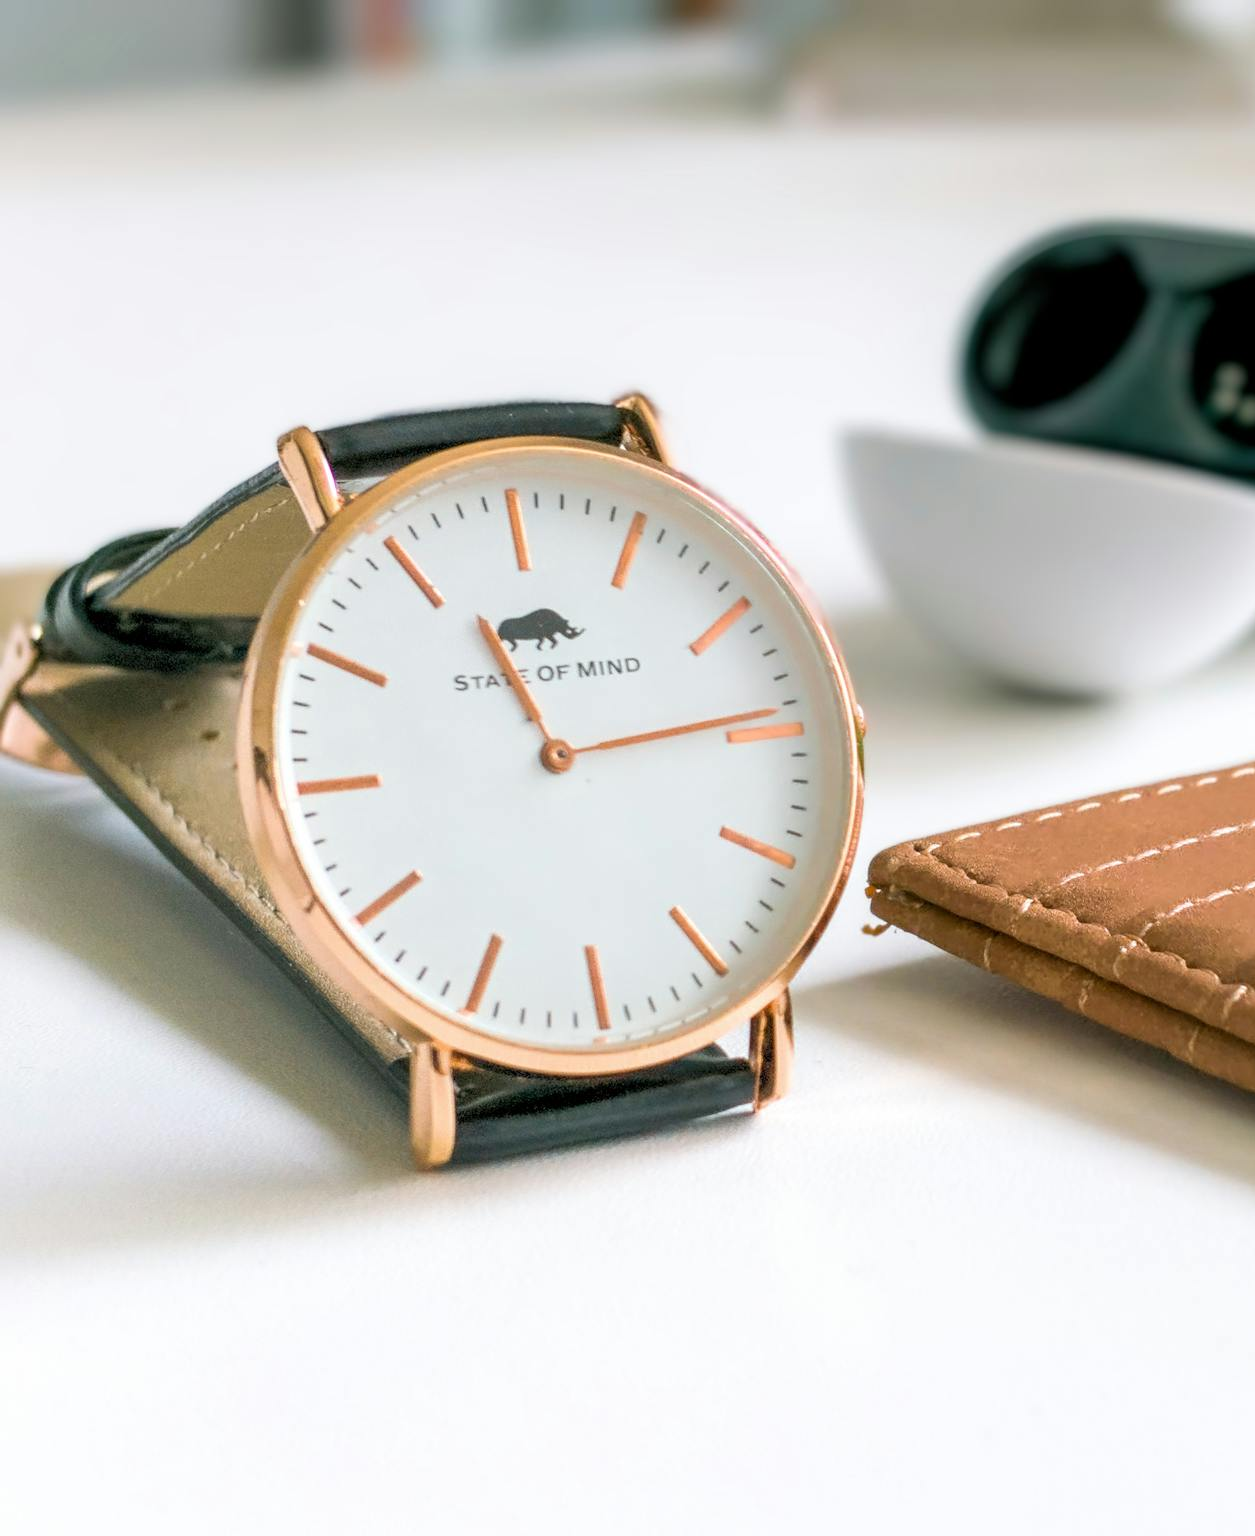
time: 11:14
